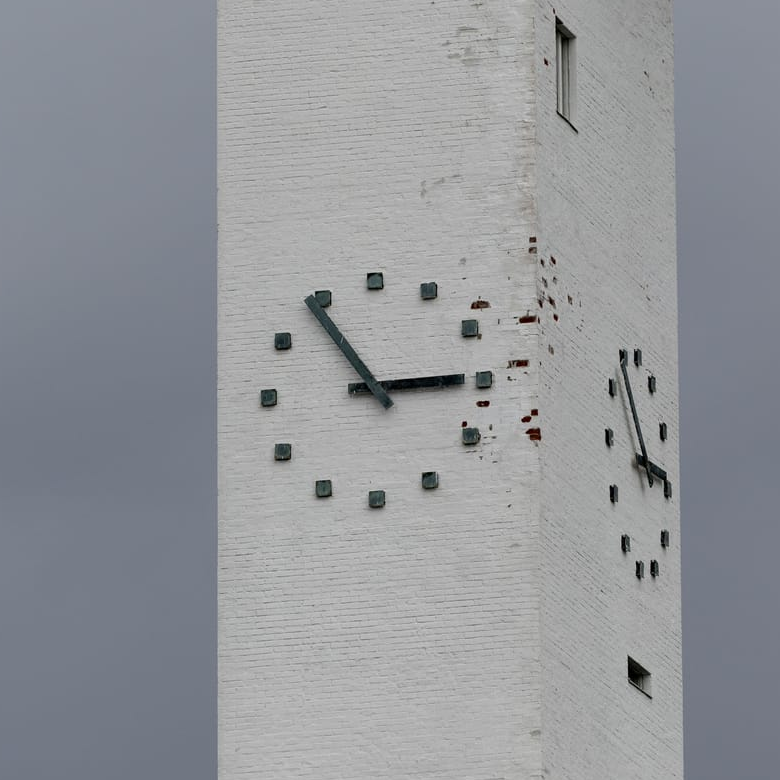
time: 2:53
